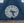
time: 3:26
